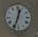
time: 12:33
